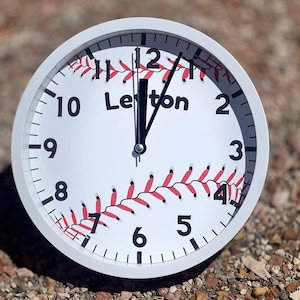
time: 12:03
